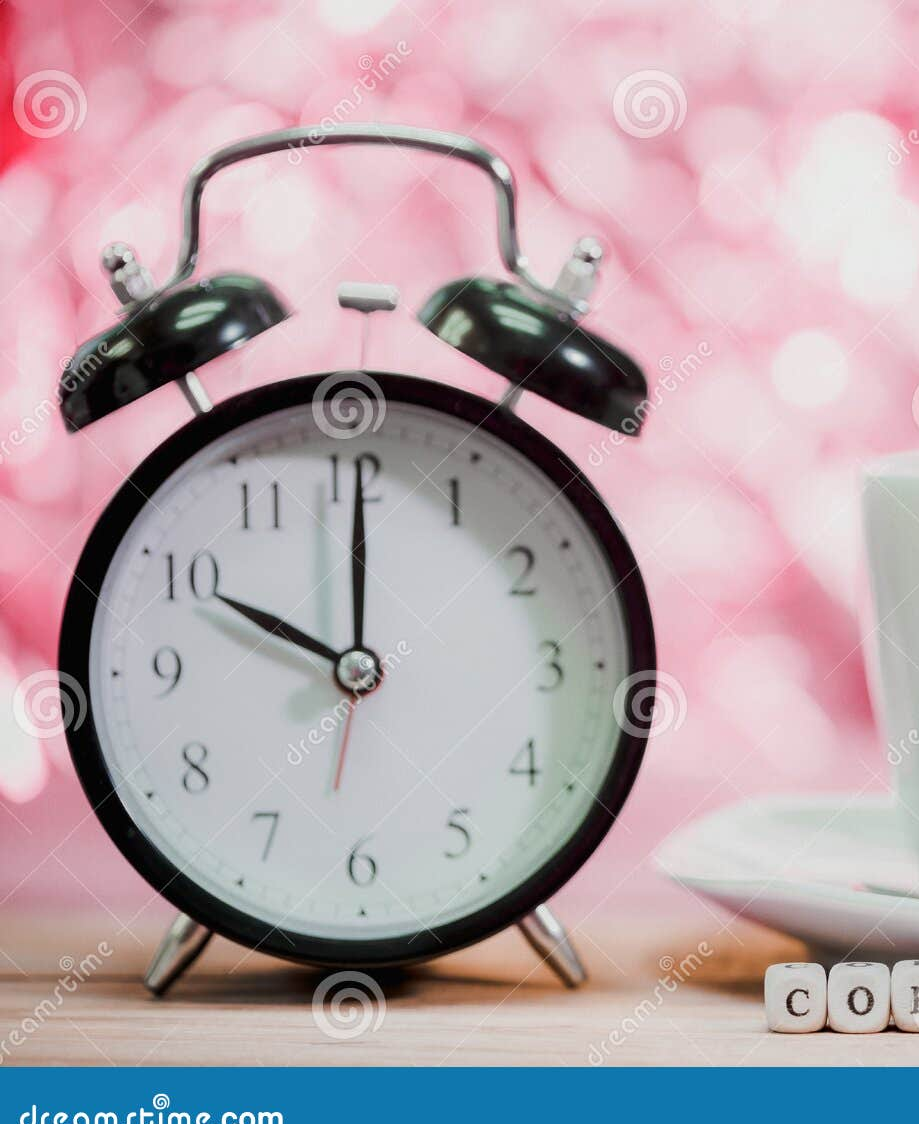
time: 10:00
